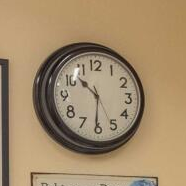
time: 10:30
